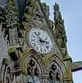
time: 11:13
